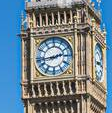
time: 2:43
